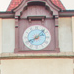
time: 8:07
